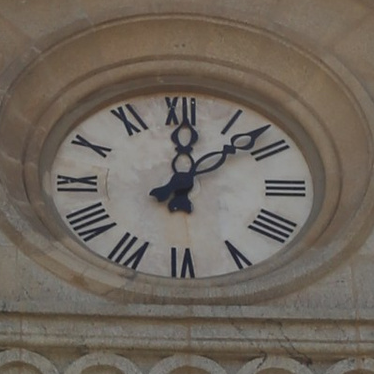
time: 12:07
